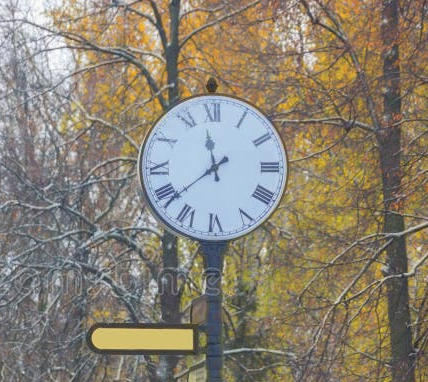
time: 11:38
